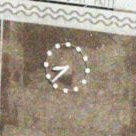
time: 8:37
